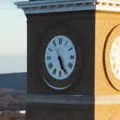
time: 5:25
